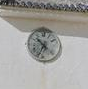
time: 10:34
